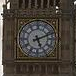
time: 5:11
